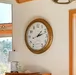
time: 1:11
